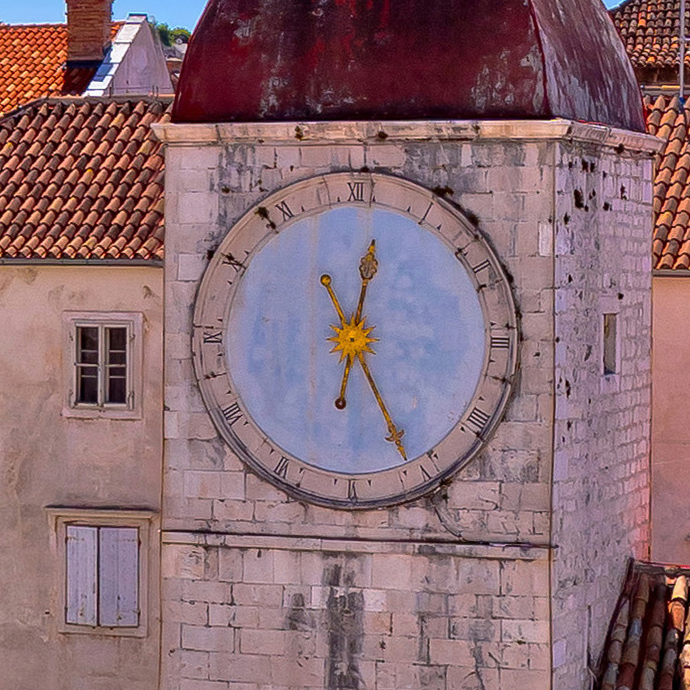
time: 12:25
